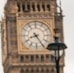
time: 8:24
